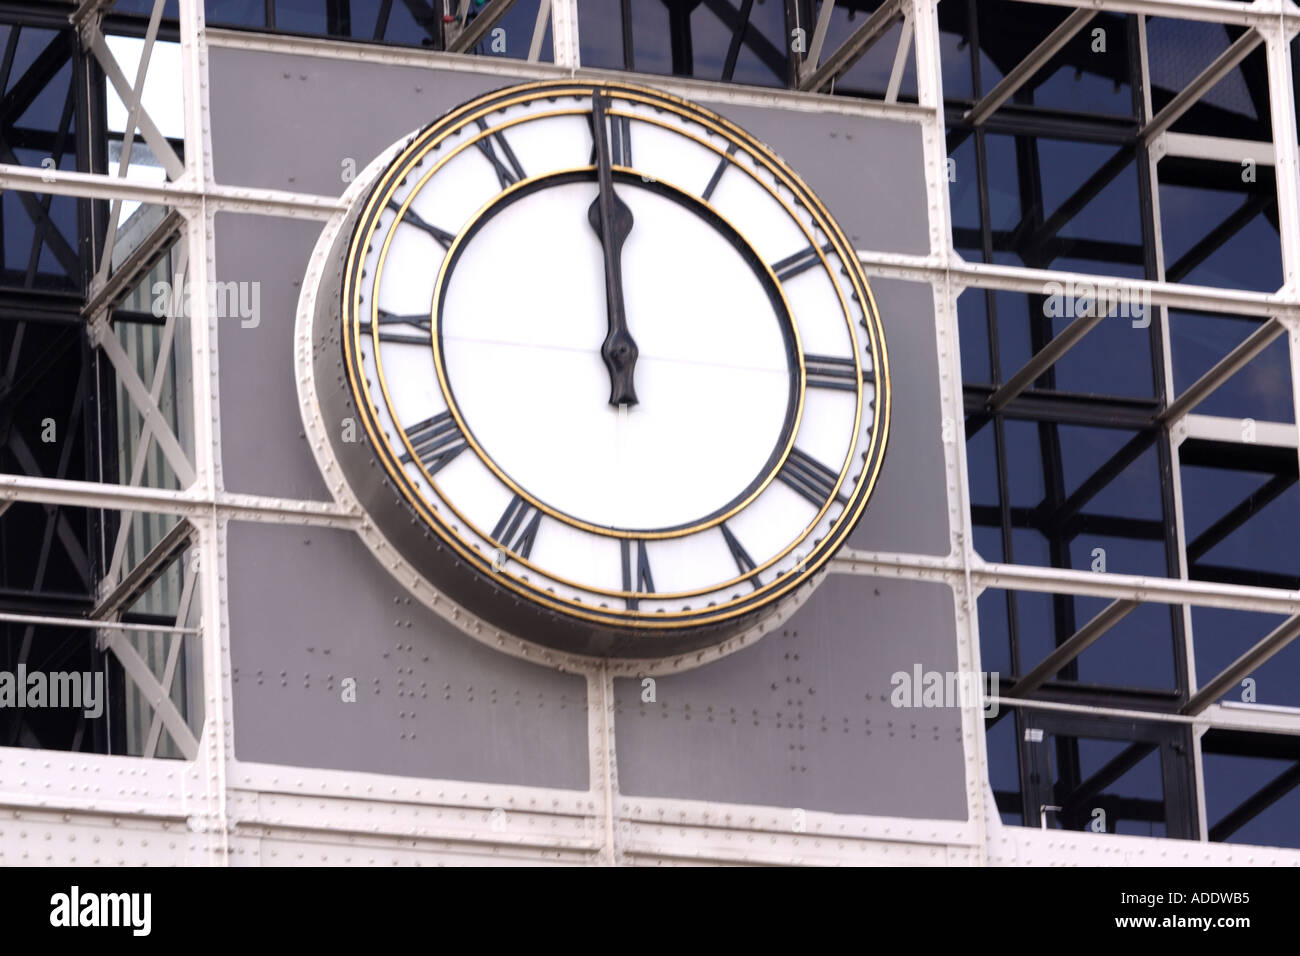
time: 11:59
